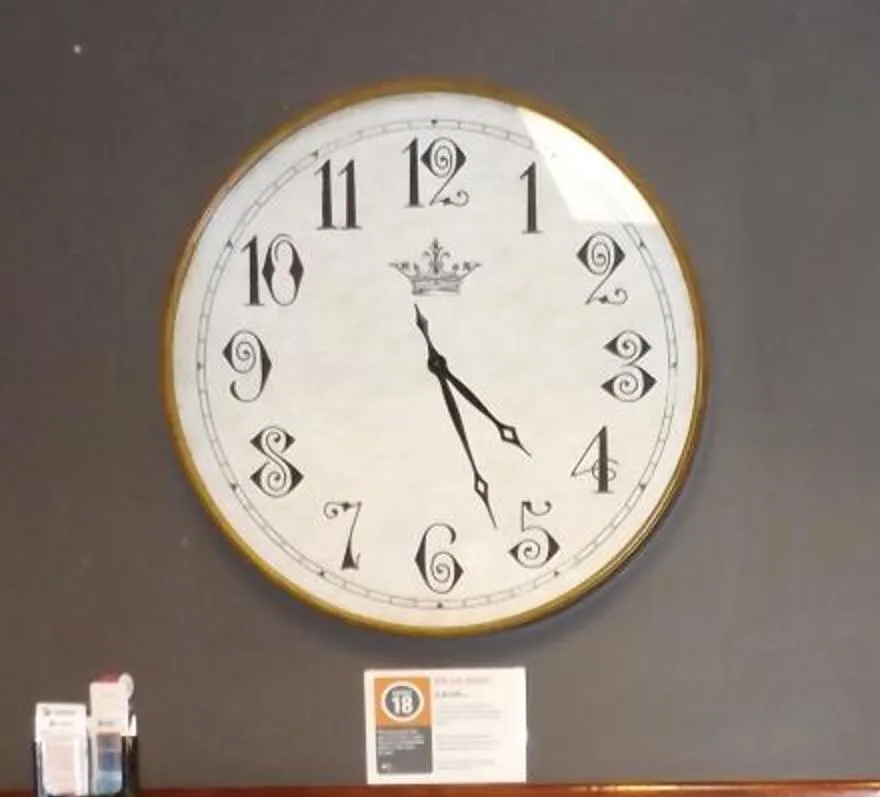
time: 4:26
